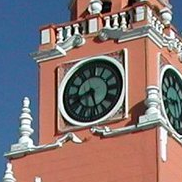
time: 8:26
